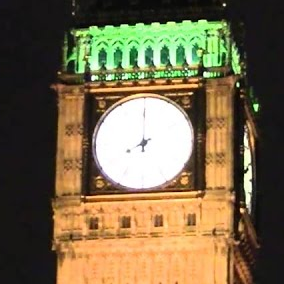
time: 7:59
